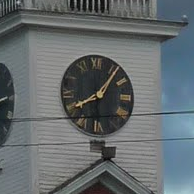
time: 8:06
